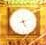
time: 5:11
